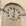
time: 6:01
